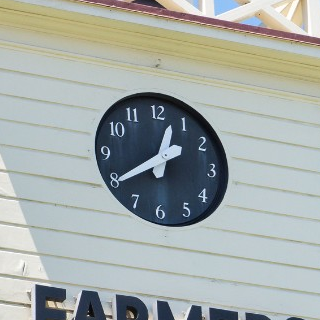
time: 12:39
